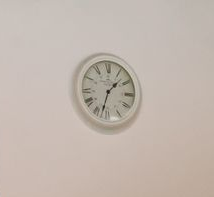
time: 1:32
